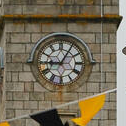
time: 9:05
